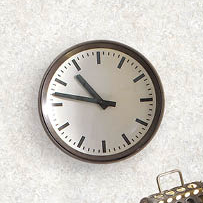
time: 10:47
